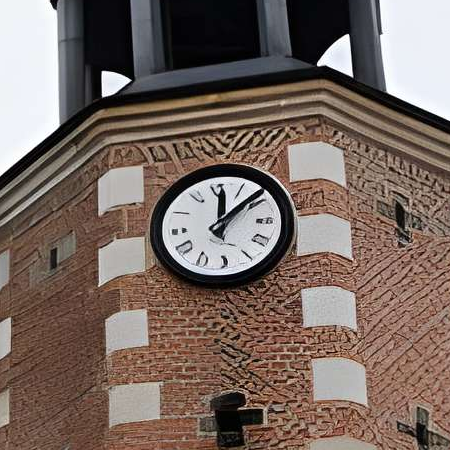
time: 12:08
